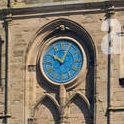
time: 10:04
